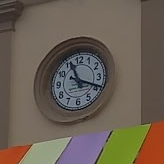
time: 11:18
